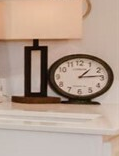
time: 1:13
